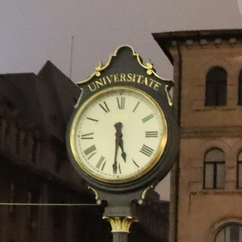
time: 5:30
